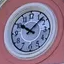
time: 10:07
